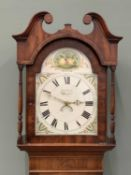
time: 2:48
